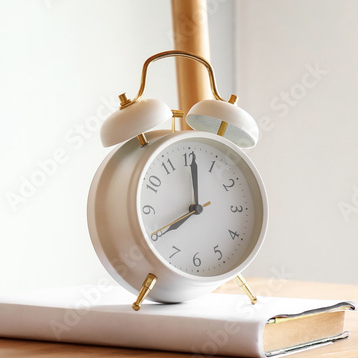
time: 8:00
